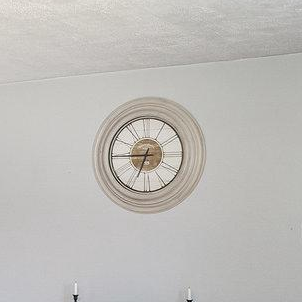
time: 6:45
